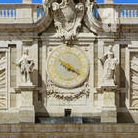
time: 4:20
